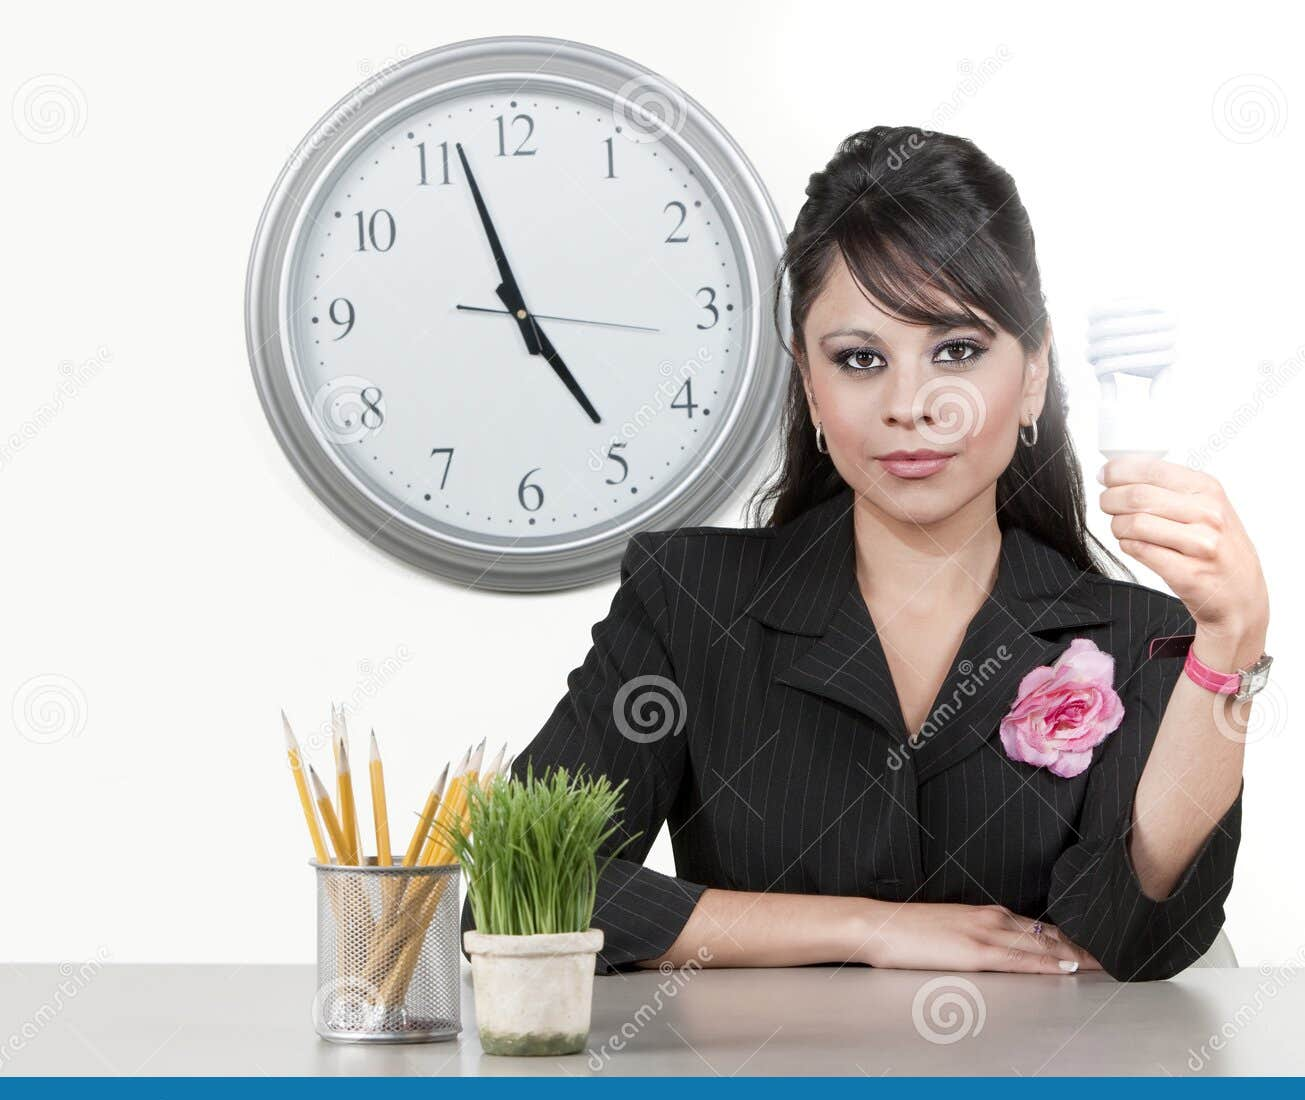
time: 4:56
